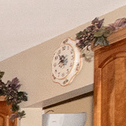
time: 8:54
